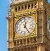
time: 12:24
